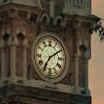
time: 7:09
